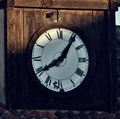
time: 8:06
